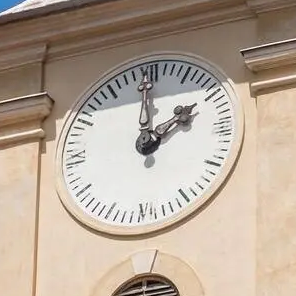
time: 2:00
